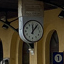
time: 12:06
